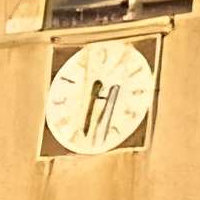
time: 6:32
